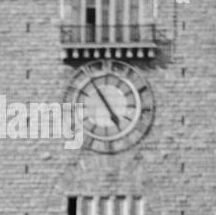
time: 4:54
